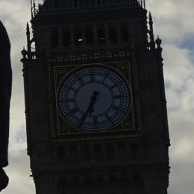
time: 6:34
